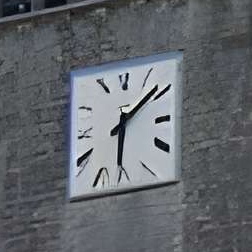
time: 6:08
